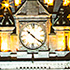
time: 10:21
